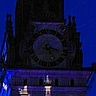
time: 5:18
